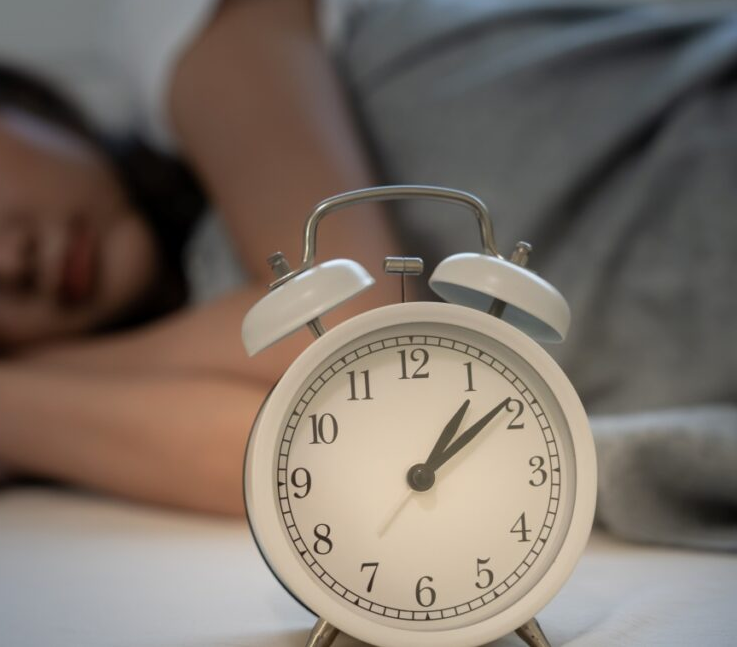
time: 1:08
